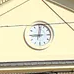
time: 9:01
